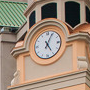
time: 5:04
